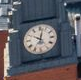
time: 10:02
